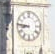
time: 8:46
